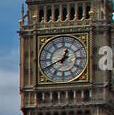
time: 12:40
